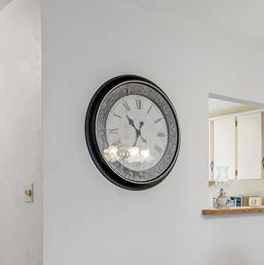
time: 10:34
